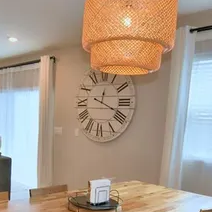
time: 12:18
